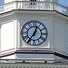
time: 12:36
